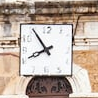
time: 7:54
